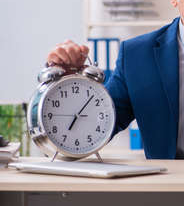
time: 7:07
